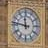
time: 11:46
